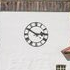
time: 2:50
